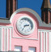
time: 2:36
